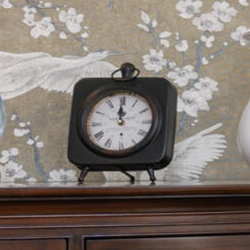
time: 12:00
